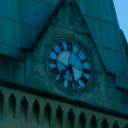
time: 7:28
